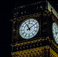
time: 11:09
